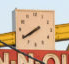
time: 7:39
